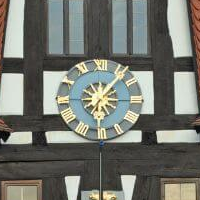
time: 3:06
